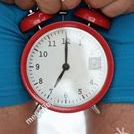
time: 7:00
